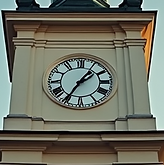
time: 1:35
